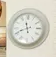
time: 11:41
